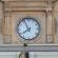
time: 7:55
